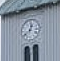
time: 12:38
